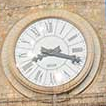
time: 8:18
